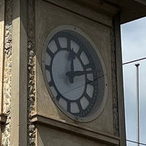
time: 12:12
